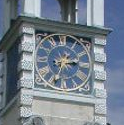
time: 2:33
